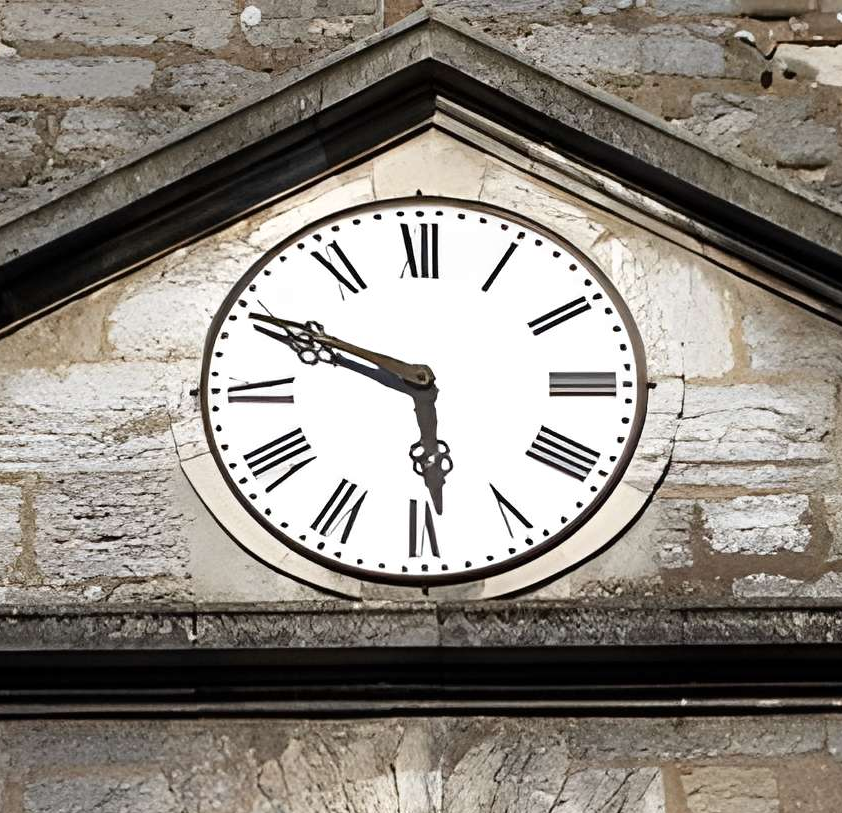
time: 5:49
